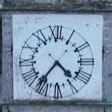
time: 4:36
